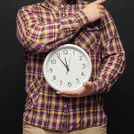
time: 11:54
